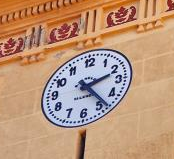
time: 2:23
